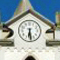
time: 6:28
